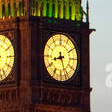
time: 8:26
